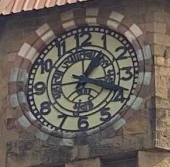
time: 1:18
